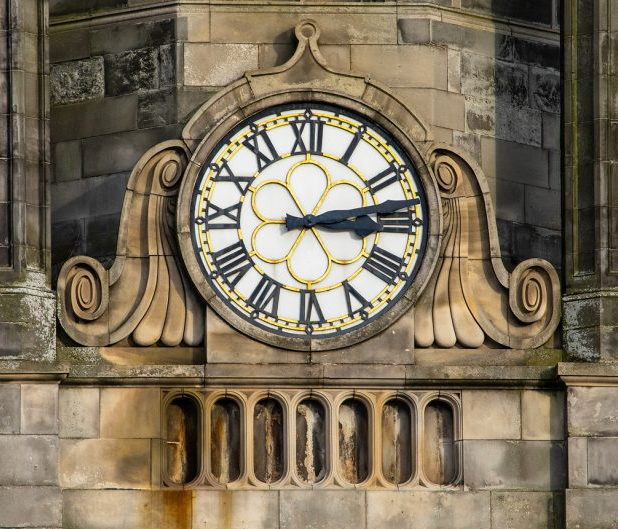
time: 3:12
